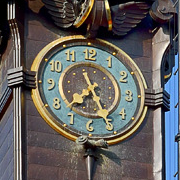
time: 7:25
